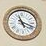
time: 11:18
